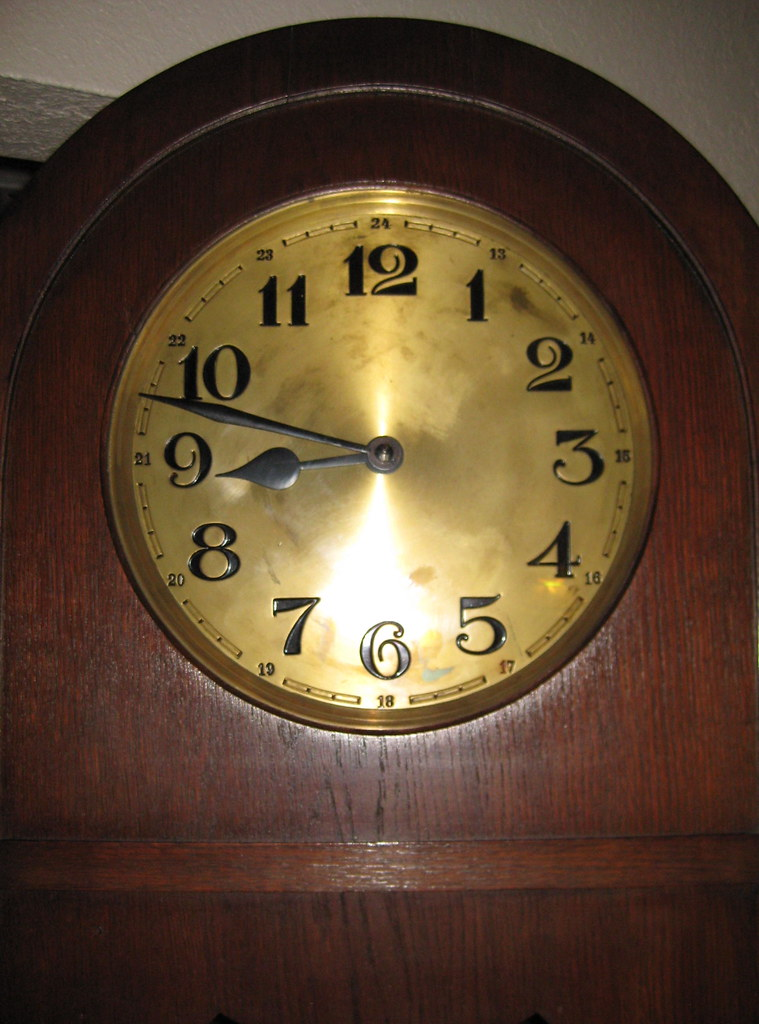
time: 8:47
